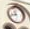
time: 11:42
